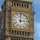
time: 3:00
